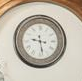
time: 9:28
